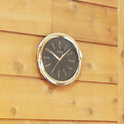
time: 10:07
